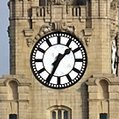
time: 1:34
